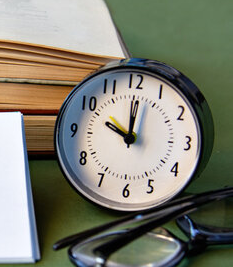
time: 10:00
